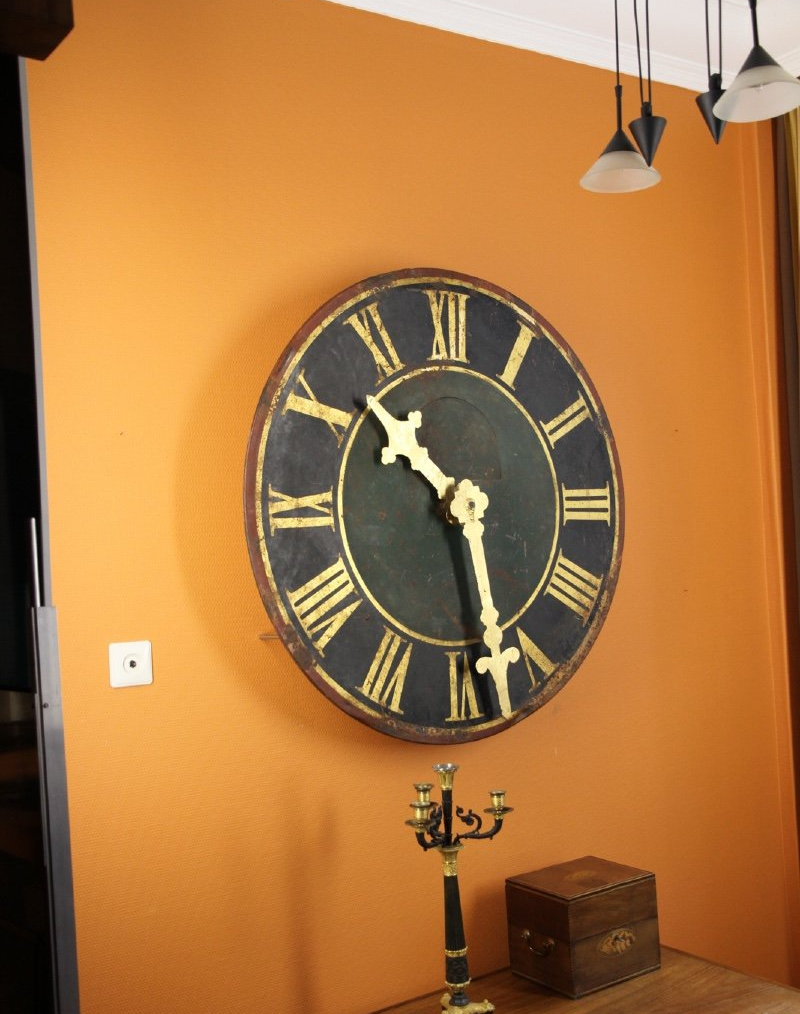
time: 10:28
